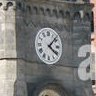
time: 4:07
